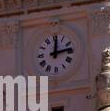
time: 12:13
